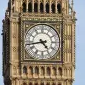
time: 4:43
